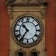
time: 10:36
